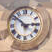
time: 2:52
